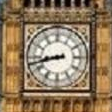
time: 8:42
